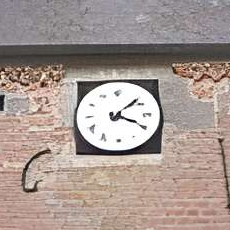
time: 4:07
